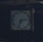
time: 2:33
